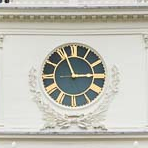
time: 2:56
